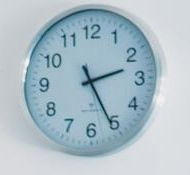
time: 2:25
